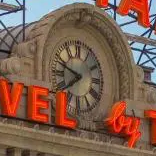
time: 7:48
